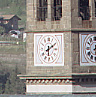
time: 6:10
